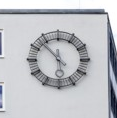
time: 5:53
